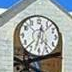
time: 12:32
